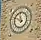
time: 9:57
